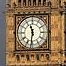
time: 11:31
